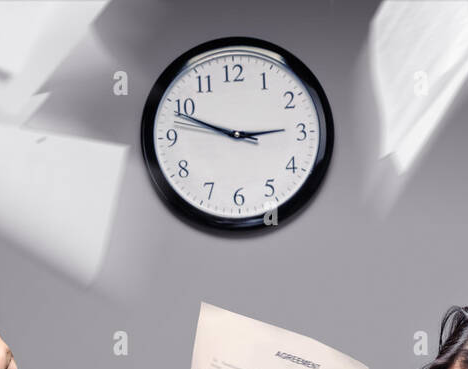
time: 2:48
